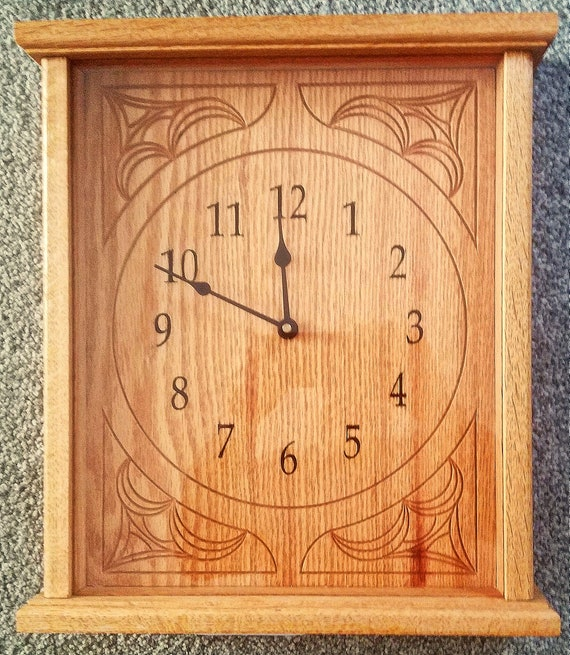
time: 11:48
